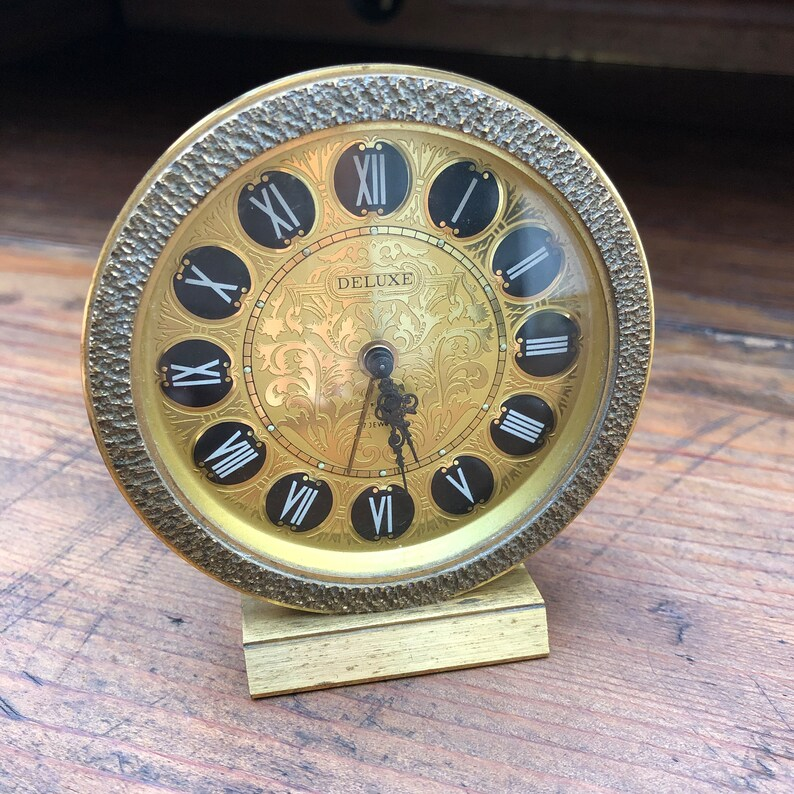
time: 5:28
